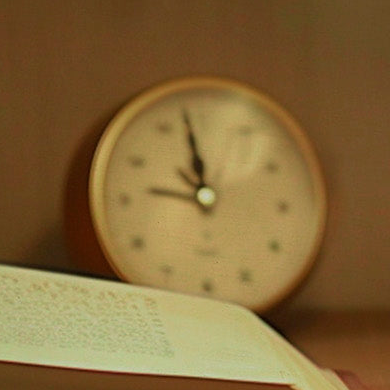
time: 11:46
